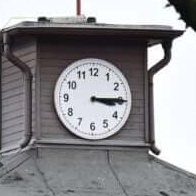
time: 3:14
